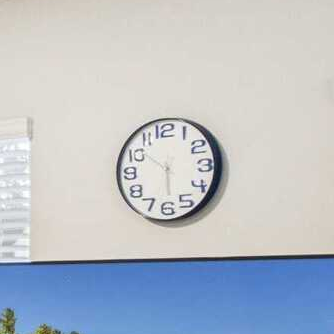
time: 5:51
